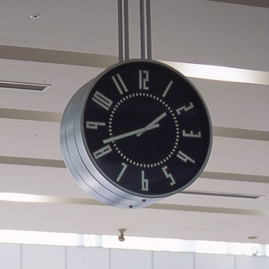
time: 1:41
